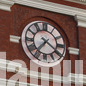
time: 7:20
